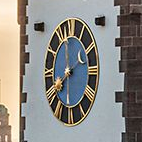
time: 11:40
